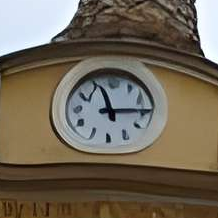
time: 11:14
